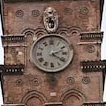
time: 2:21
